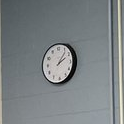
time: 2:06
